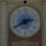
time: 2:40
